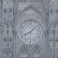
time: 8:07
